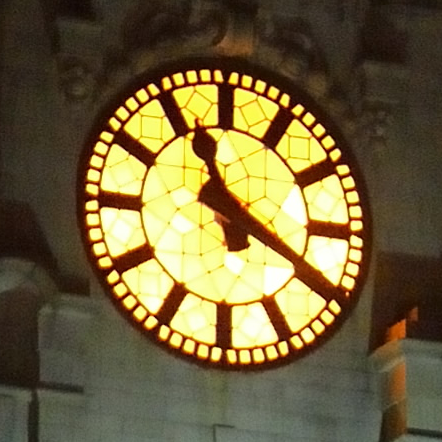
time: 11:19
